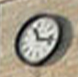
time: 11:17
